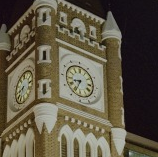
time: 8:33
